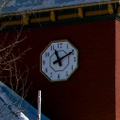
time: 11:10
